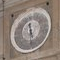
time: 11:28
